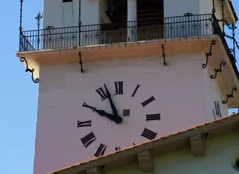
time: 9:56
